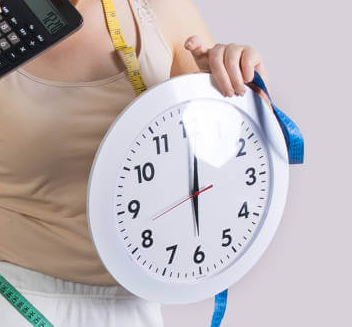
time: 6:00
